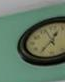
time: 12:36
